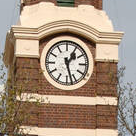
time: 1:27
